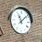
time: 11:07
